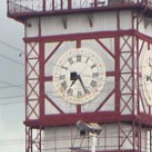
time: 7:25
